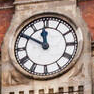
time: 11:50
